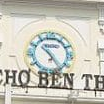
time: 10:23
